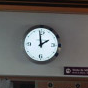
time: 1:59
